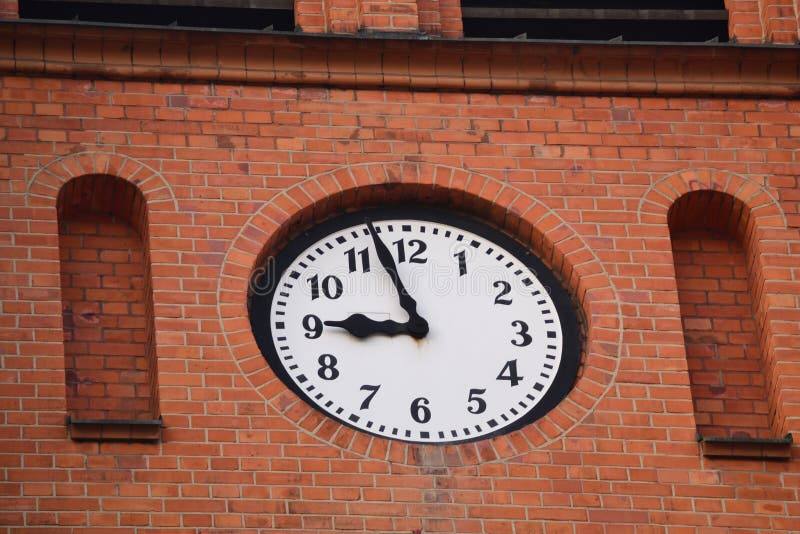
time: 8:57
